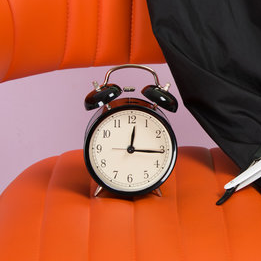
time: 12:15
